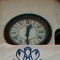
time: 12:30
